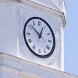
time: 12:51
